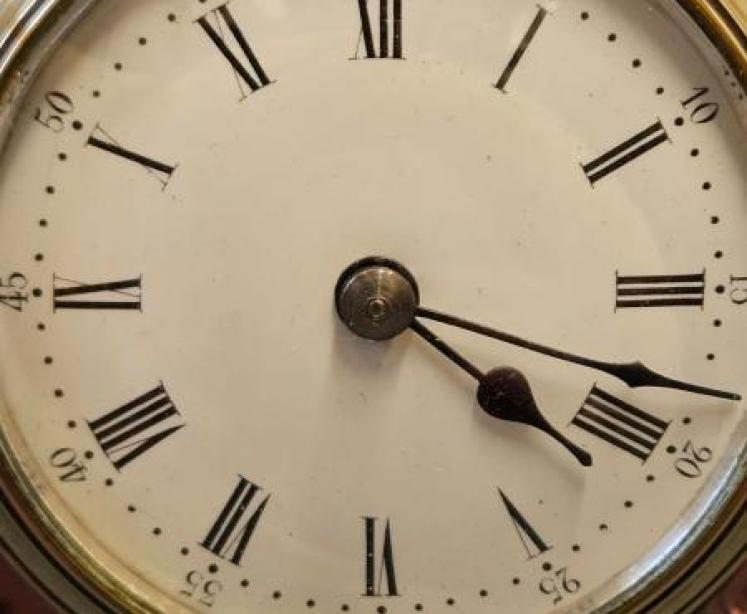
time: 4:17
